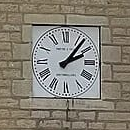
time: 2:06
